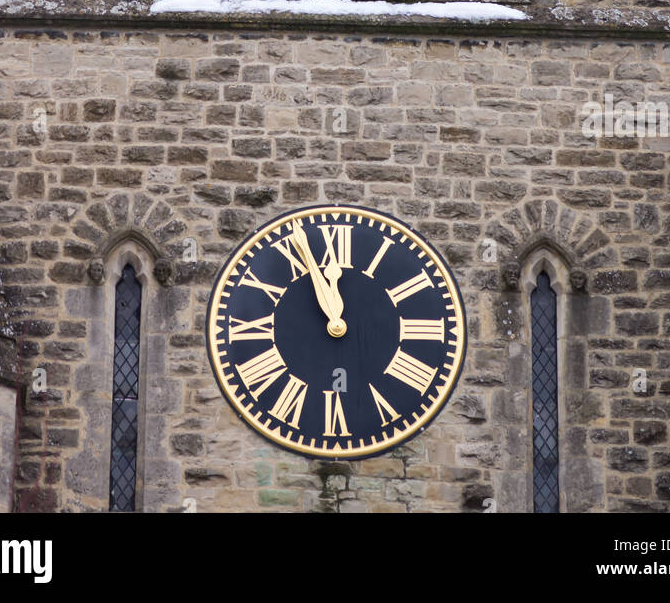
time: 11:56
